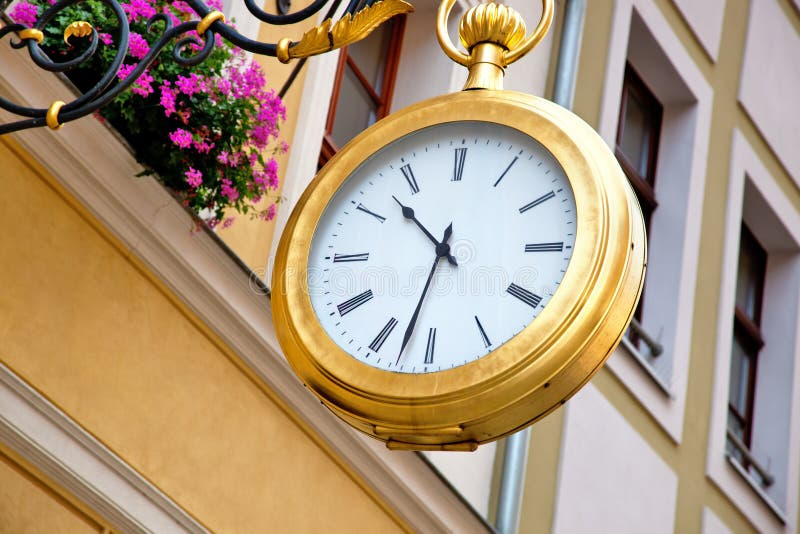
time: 10:32
